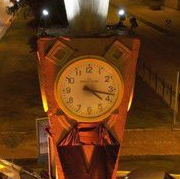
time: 4:17
